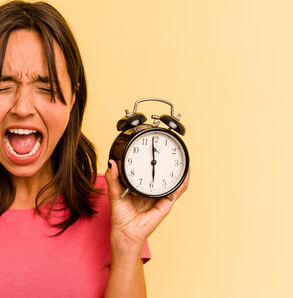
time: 5:59
